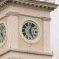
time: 5:03
